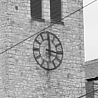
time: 12:16
